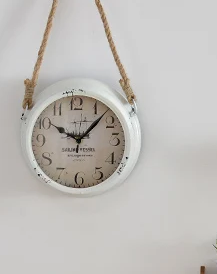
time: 10:07
